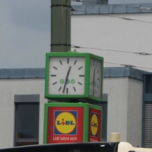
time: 12:32
